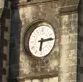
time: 6:14
